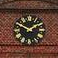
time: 1:49
